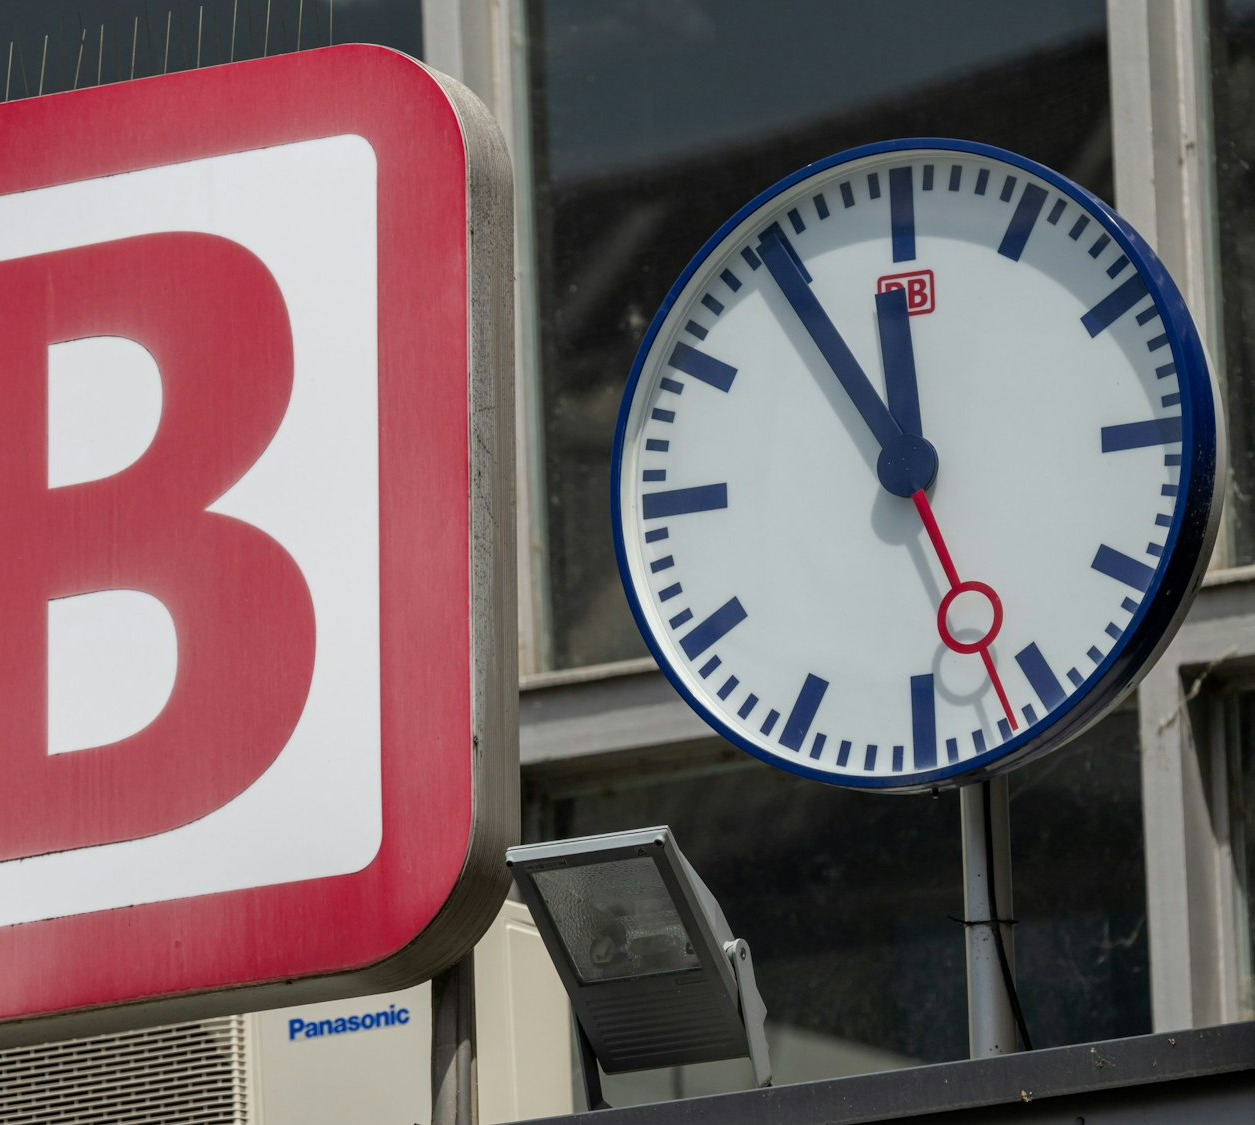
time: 11:54
